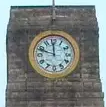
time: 11:48
